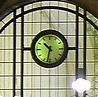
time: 10:32
